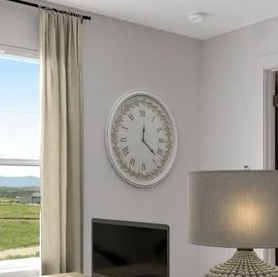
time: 12:21
